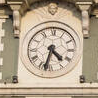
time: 4:32
